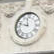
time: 11:47
